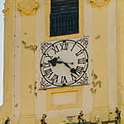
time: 9:22
